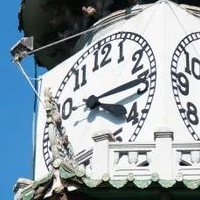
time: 4:14
